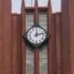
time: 12:12
